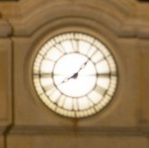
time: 8:07
